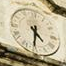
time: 4:31
